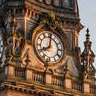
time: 8:01
